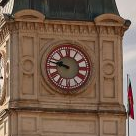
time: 9:47
